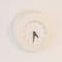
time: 4:31
